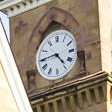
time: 4:44
